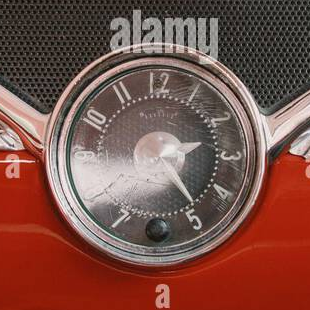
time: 2:24
